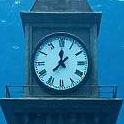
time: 12:07
